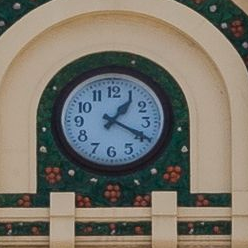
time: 1:19
